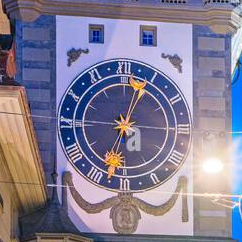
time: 12:33
